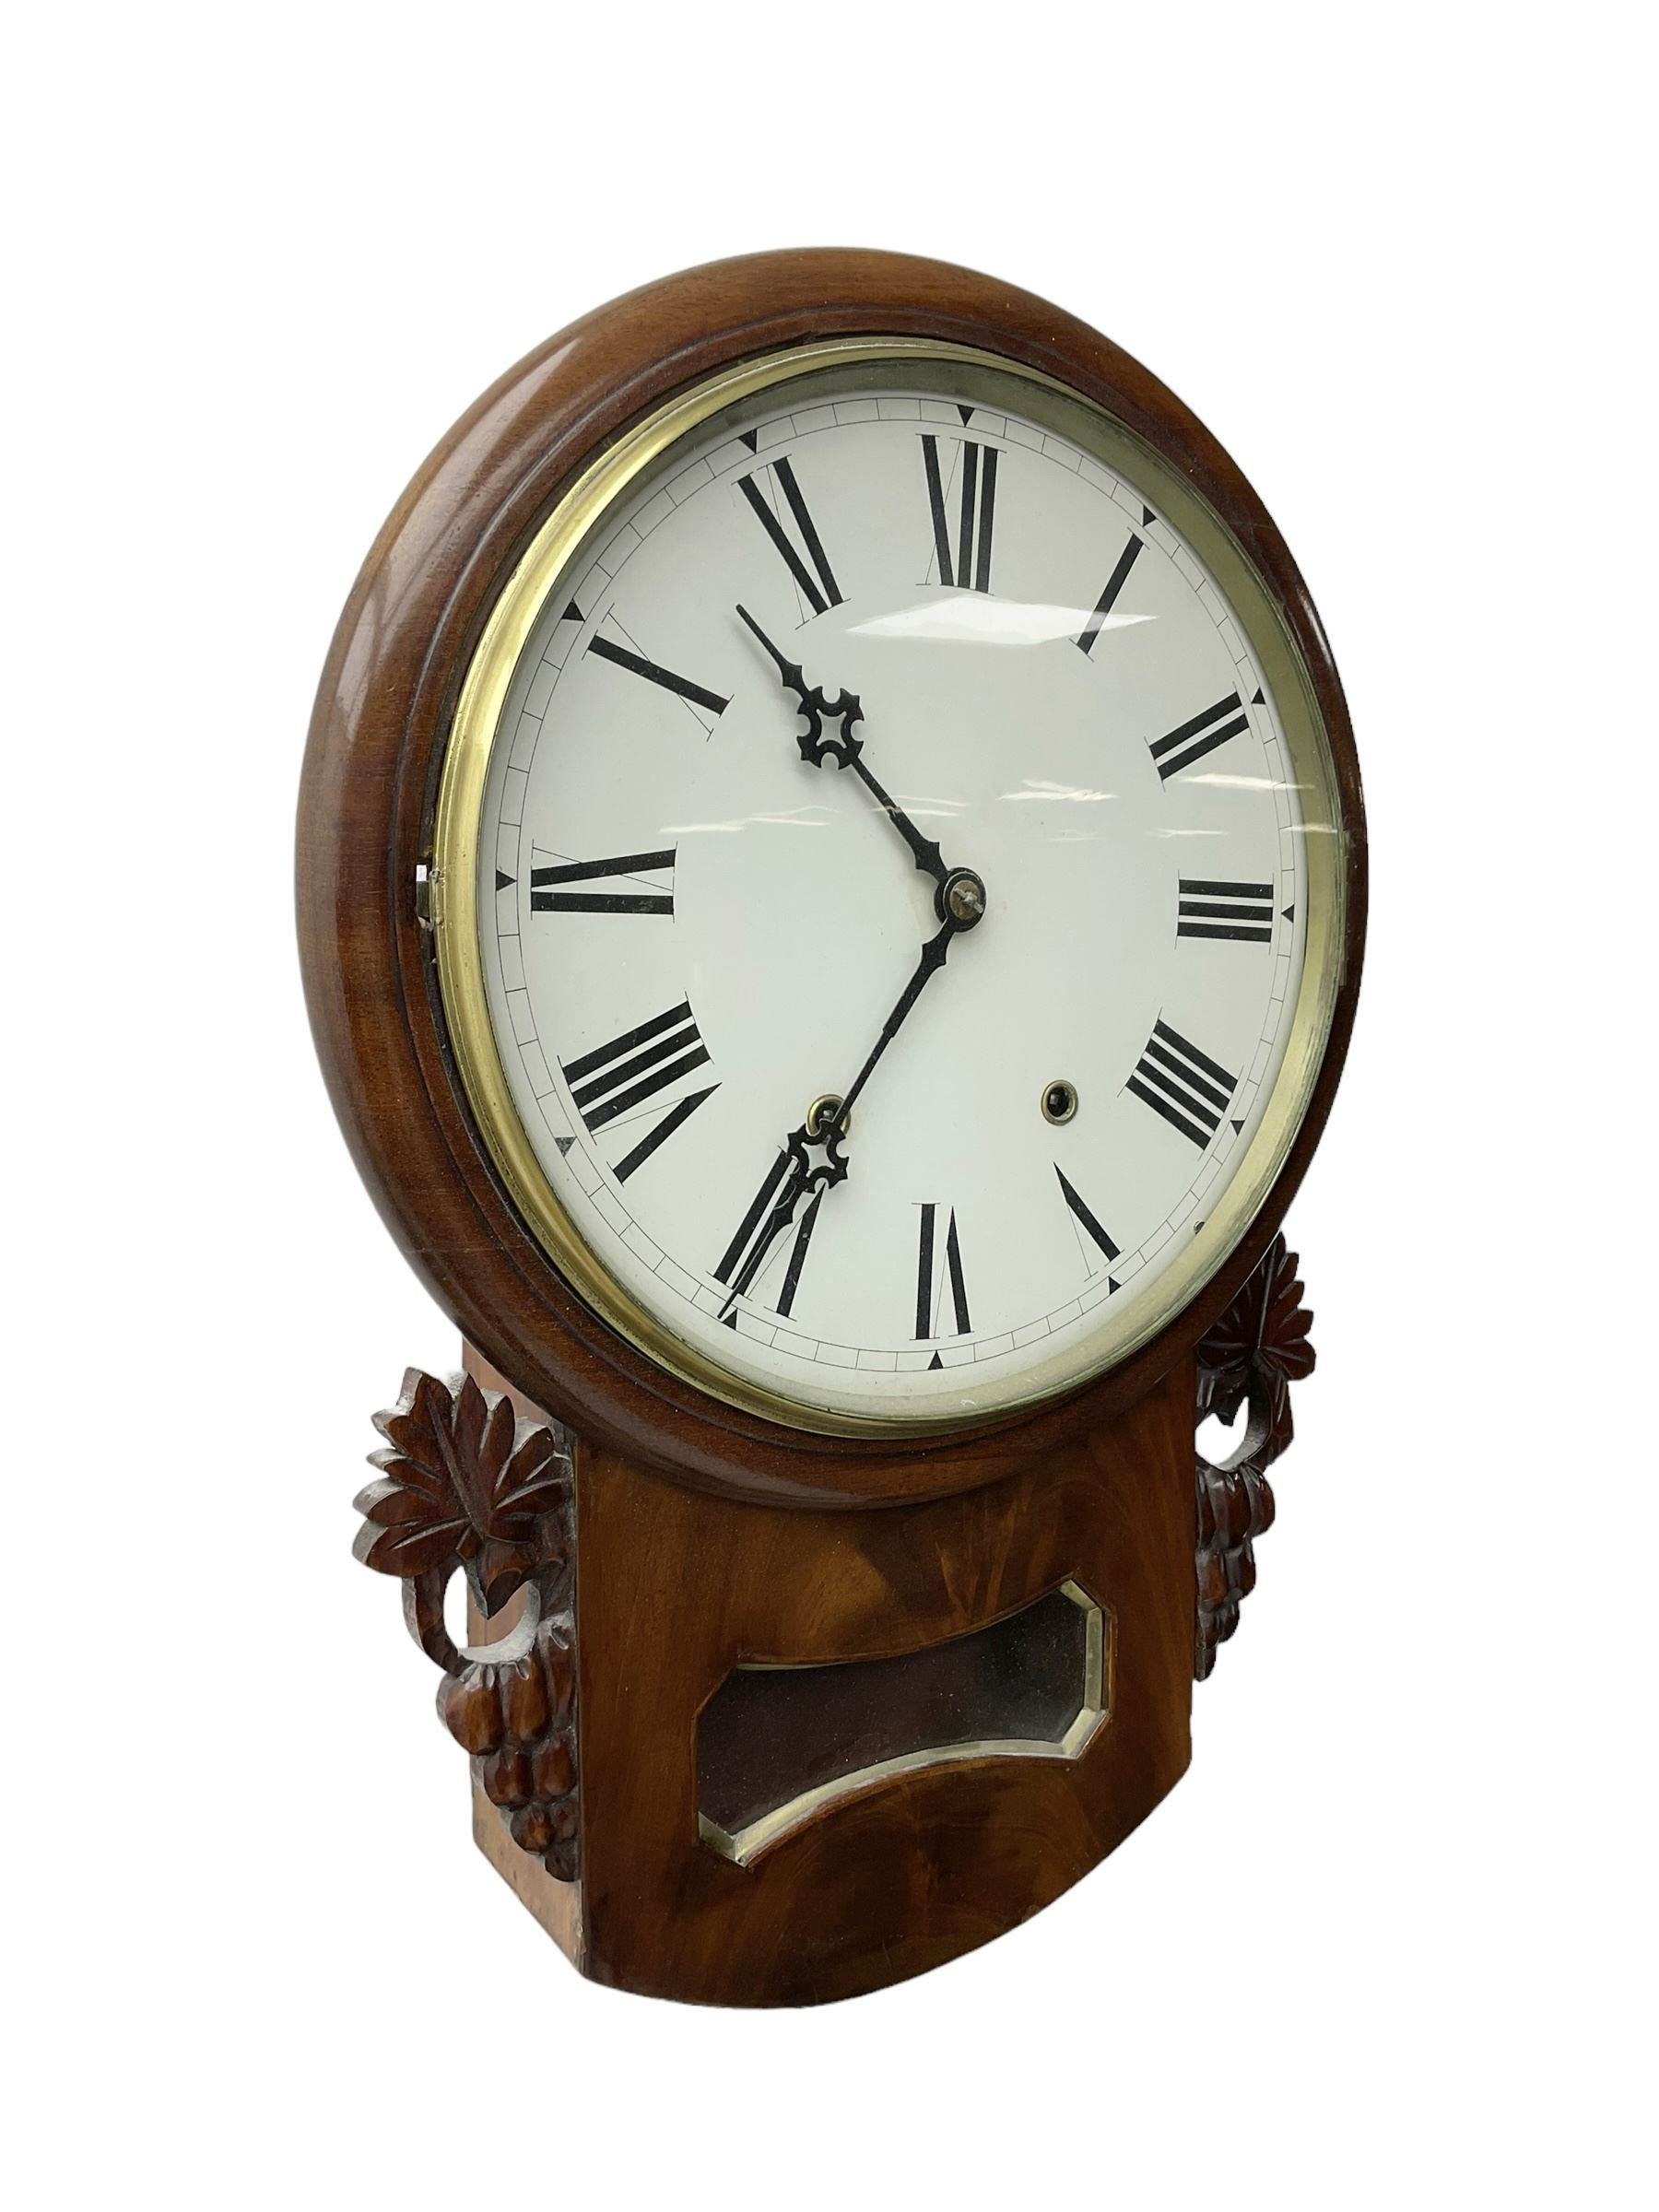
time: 10:35
